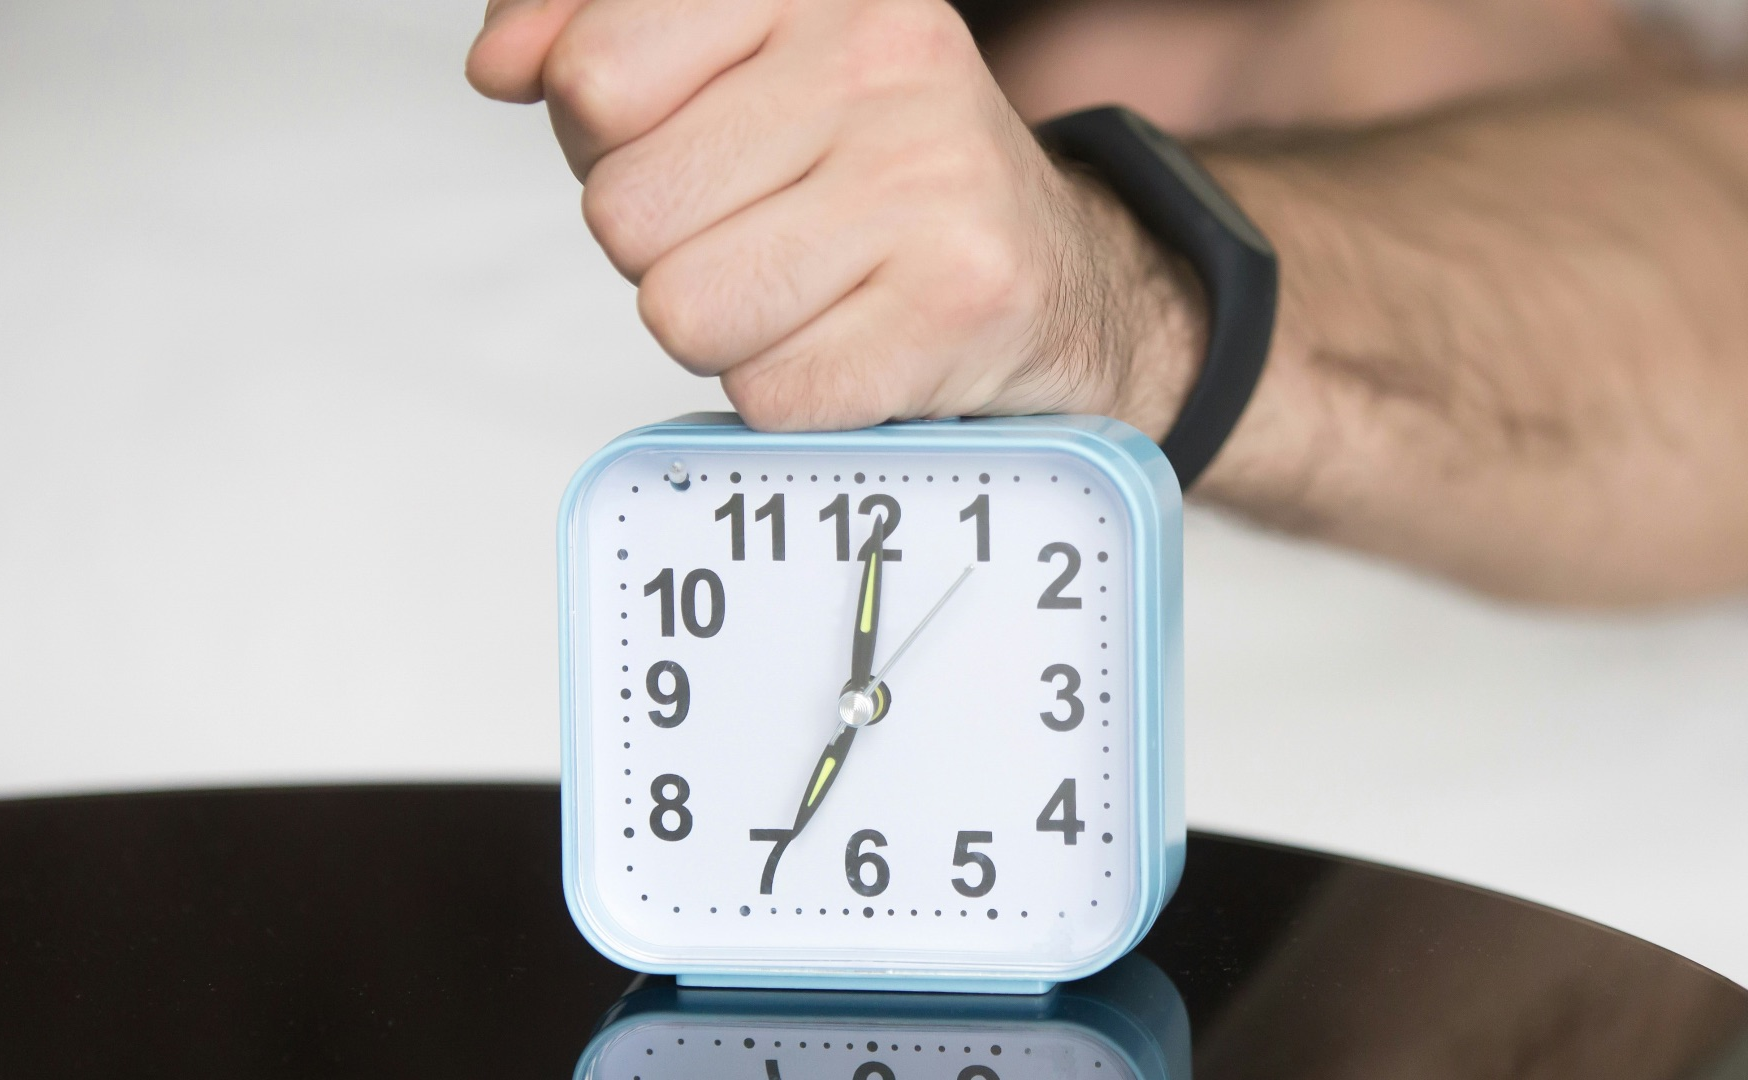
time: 7:00
